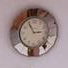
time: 2:54
